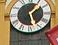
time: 1:27
